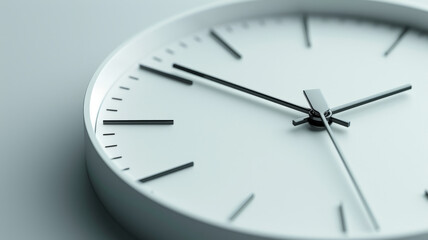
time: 1:50
